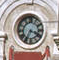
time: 3:34
